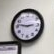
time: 2:46
